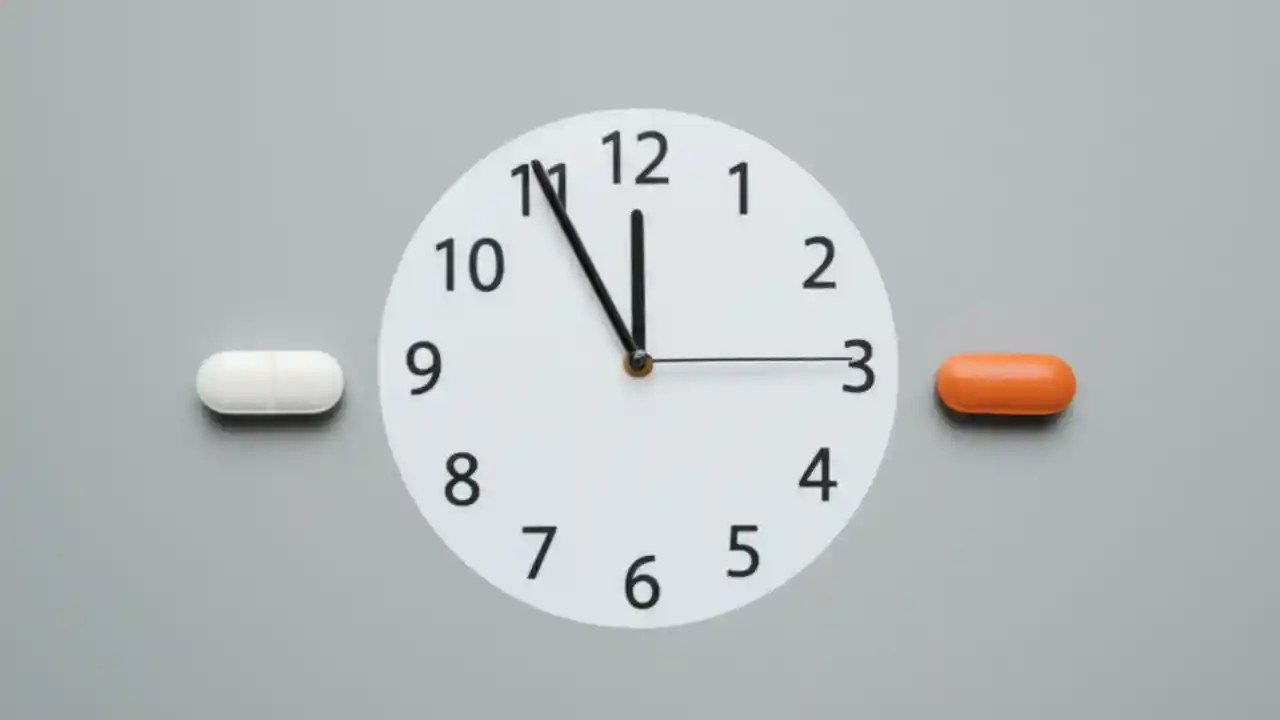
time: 11:55
